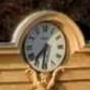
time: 7:32
